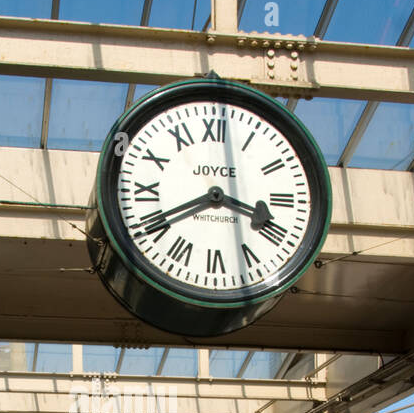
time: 3:40
